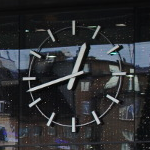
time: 12:42
